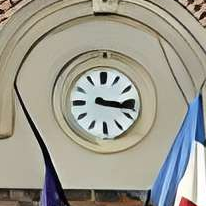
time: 3:16
